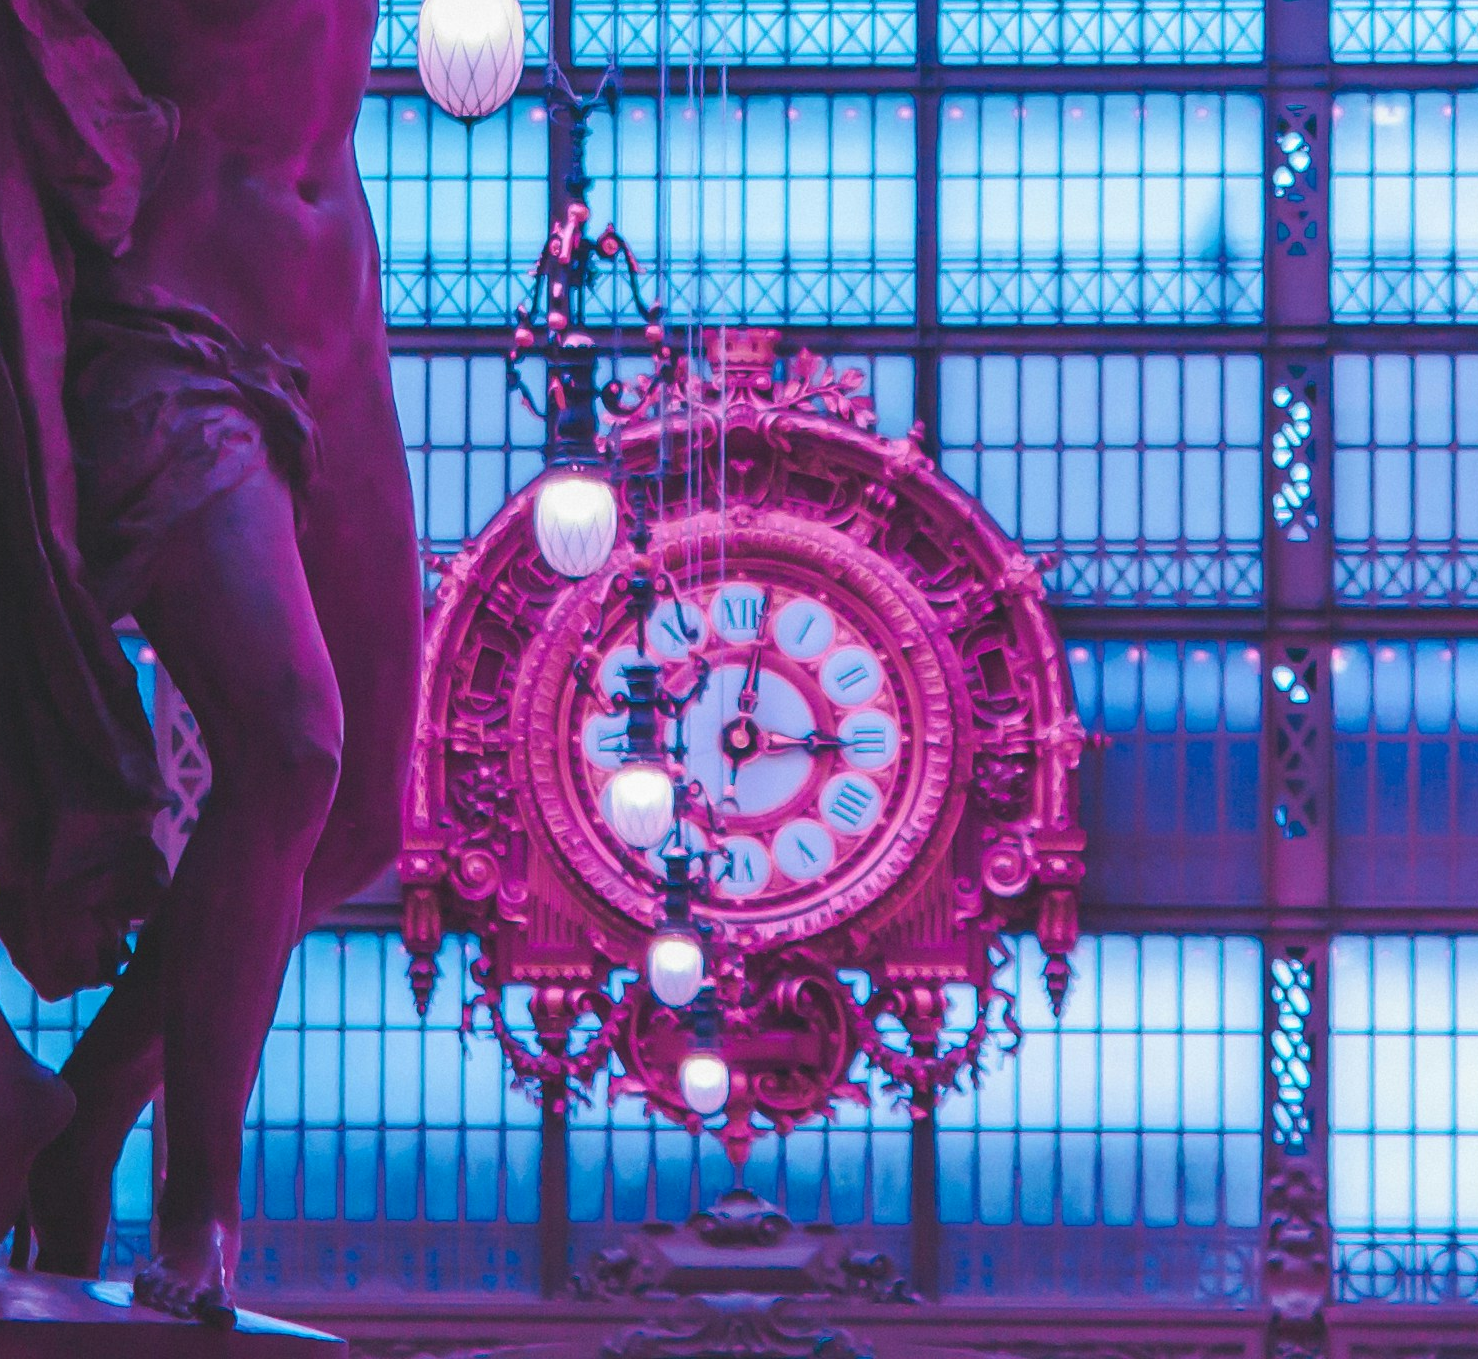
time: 3:32
